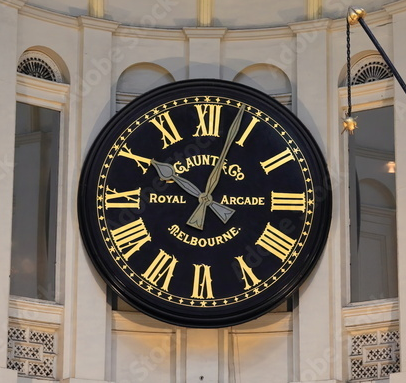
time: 10:03
